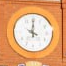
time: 4:00
